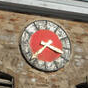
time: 3:37
